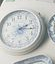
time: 2:15
